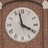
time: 3:57
